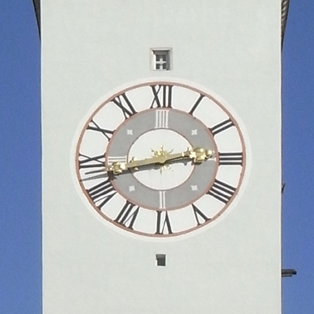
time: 2:42
